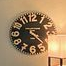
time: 4:22
